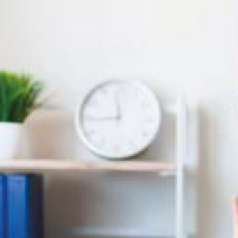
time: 11:44
